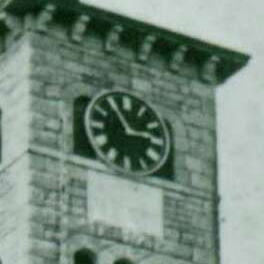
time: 2:54
